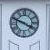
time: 3:48
